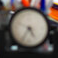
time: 4:35
